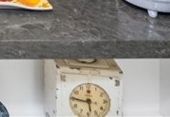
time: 5:45
